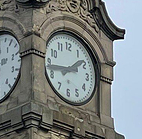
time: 1:43
